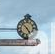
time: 4:52
